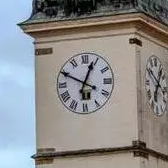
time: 12:49
